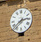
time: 2:38
